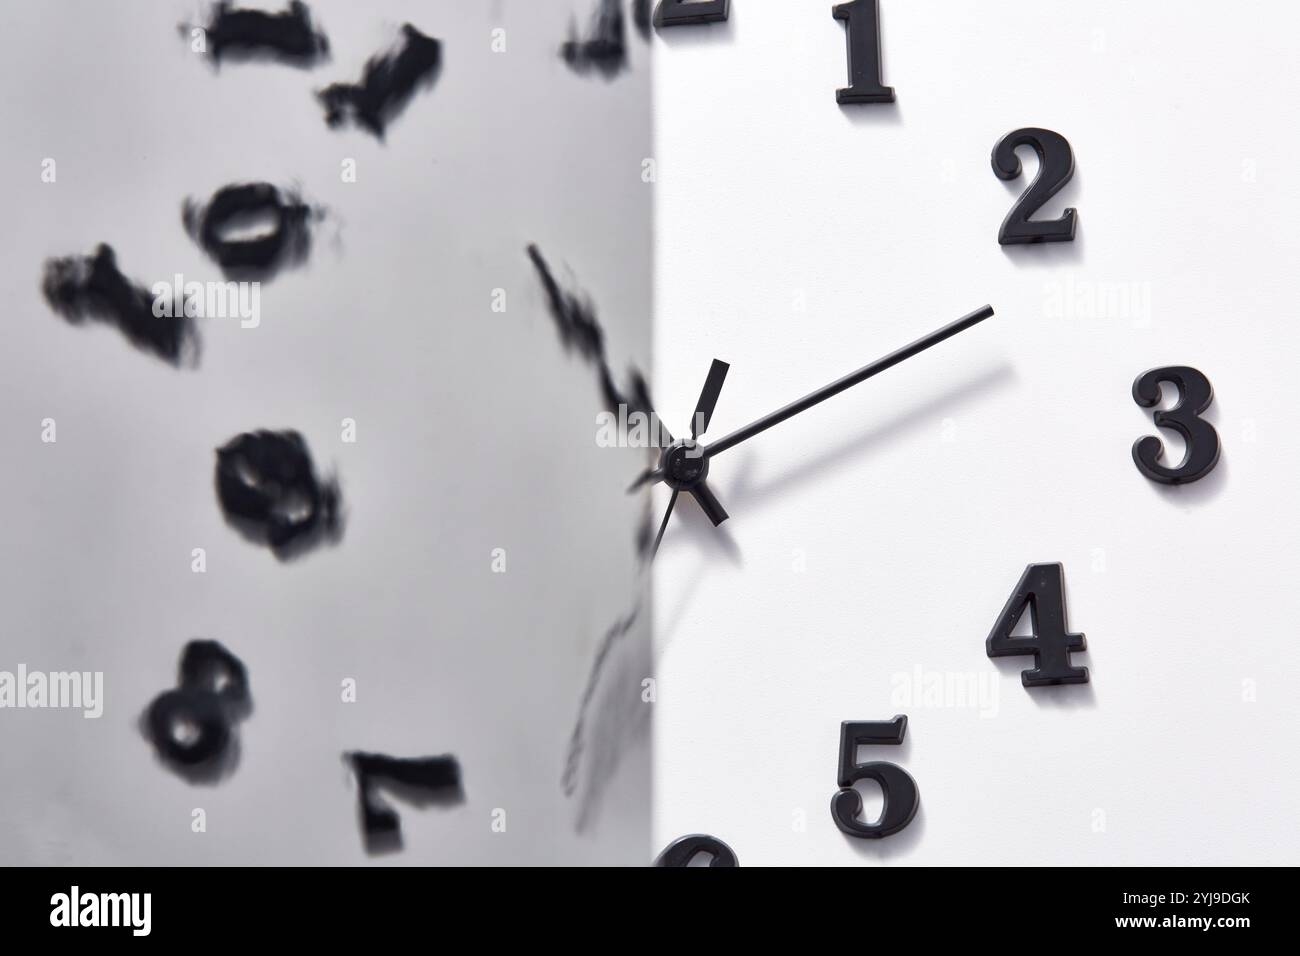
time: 11:12
